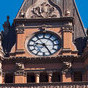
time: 9:24
